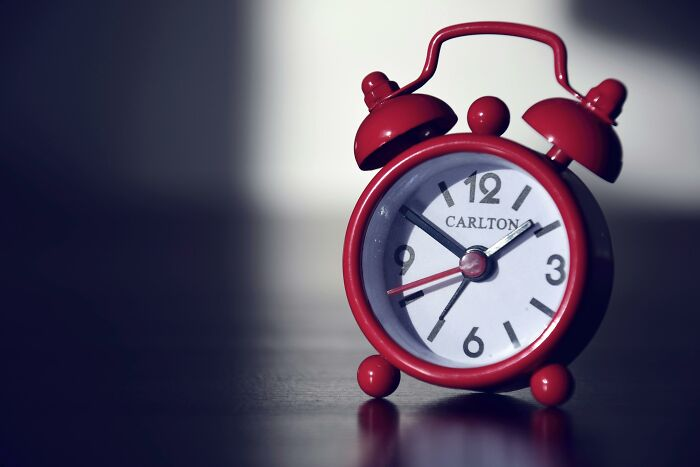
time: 1:50
